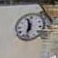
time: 11:32
